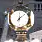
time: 12:07
